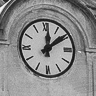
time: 12:09
